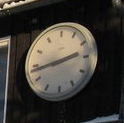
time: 2:43
